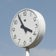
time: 3:55
